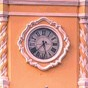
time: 7:28
